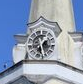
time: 1:28
